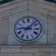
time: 9:07
